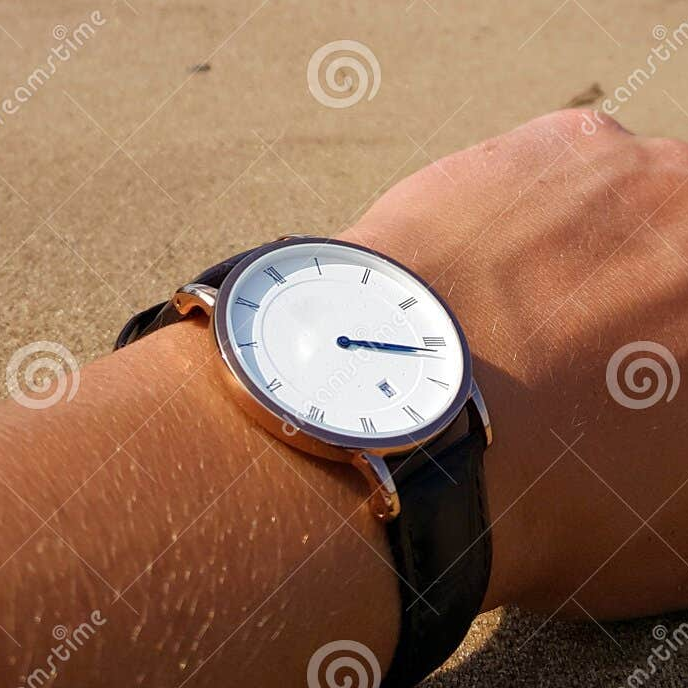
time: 3:16
